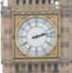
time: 2:12
